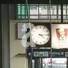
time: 4:14
